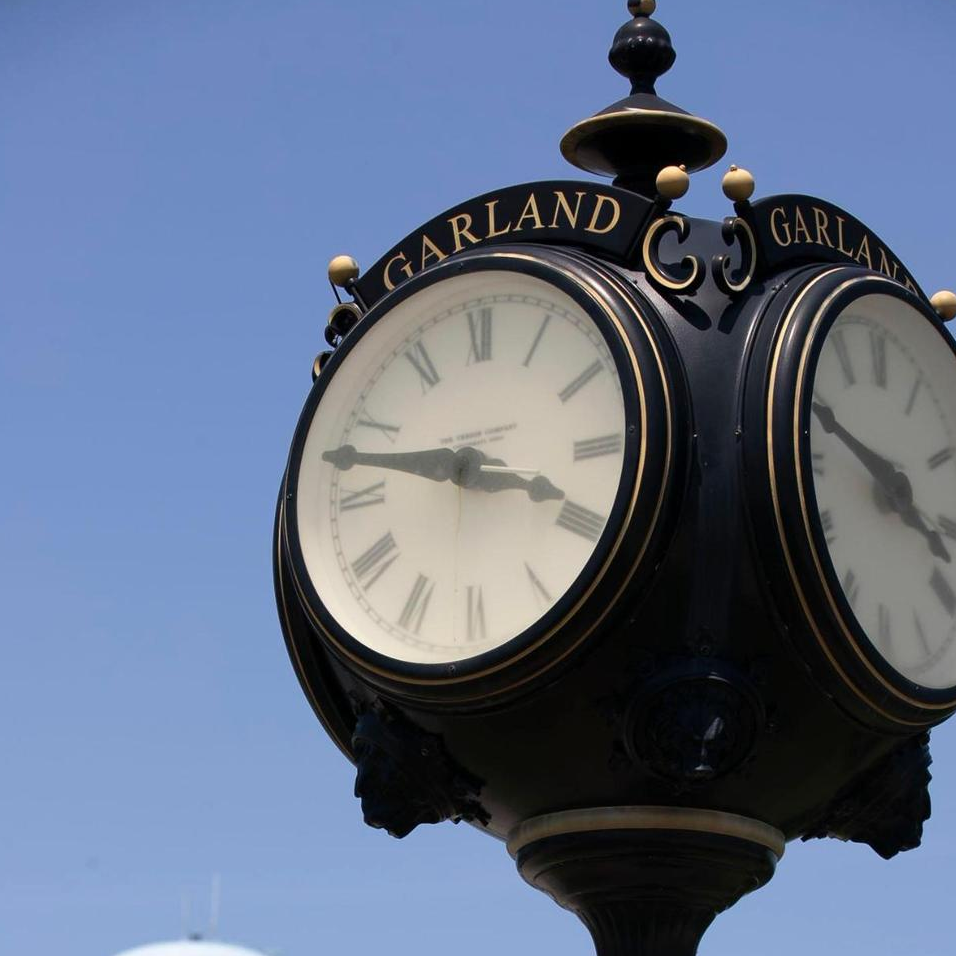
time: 3:47
